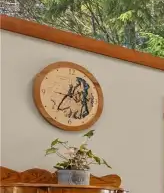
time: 1:36
